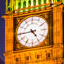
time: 4:44
